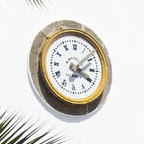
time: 4:07
